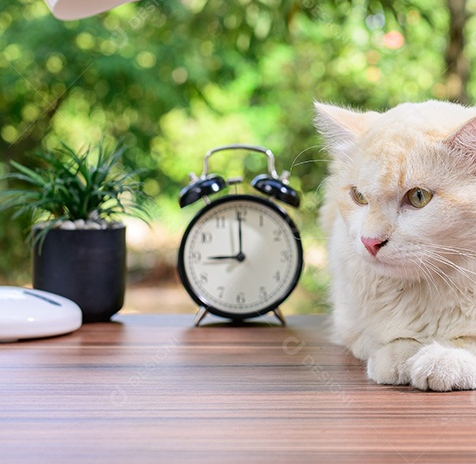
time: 9:00
